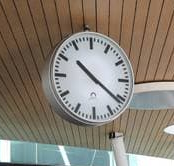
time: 10:21
